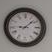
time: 9:08
